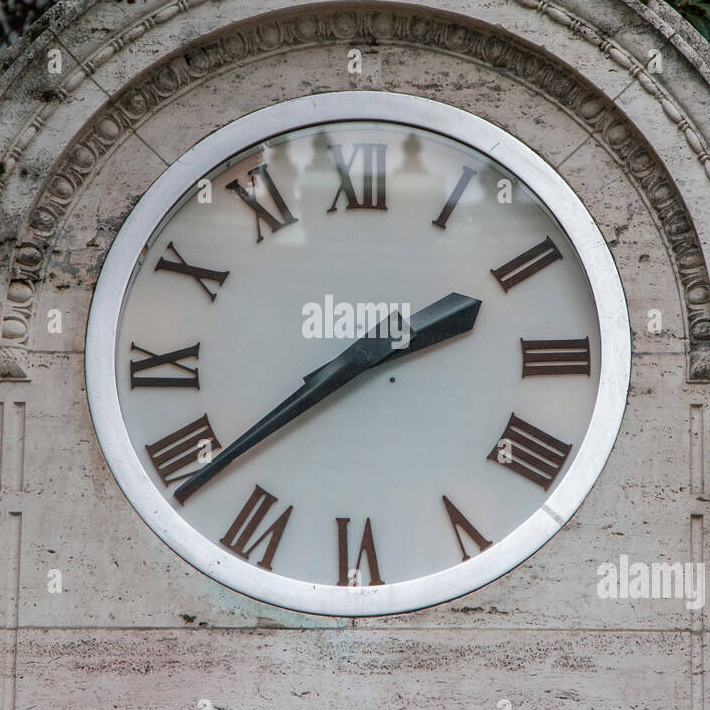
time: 2:38
